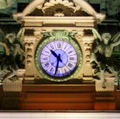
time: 10:32
